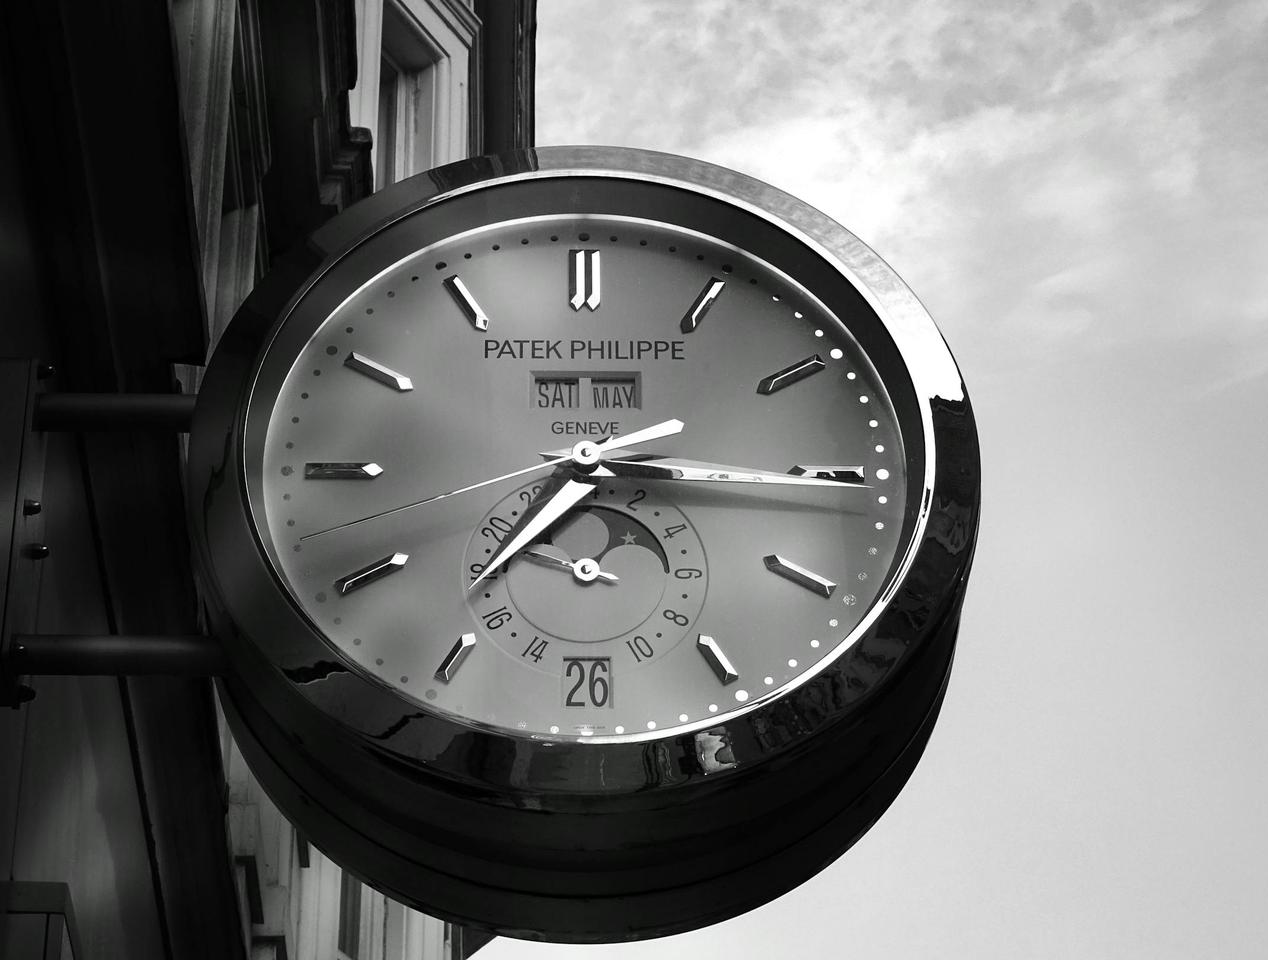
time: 7:15
